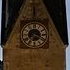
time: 7:19
